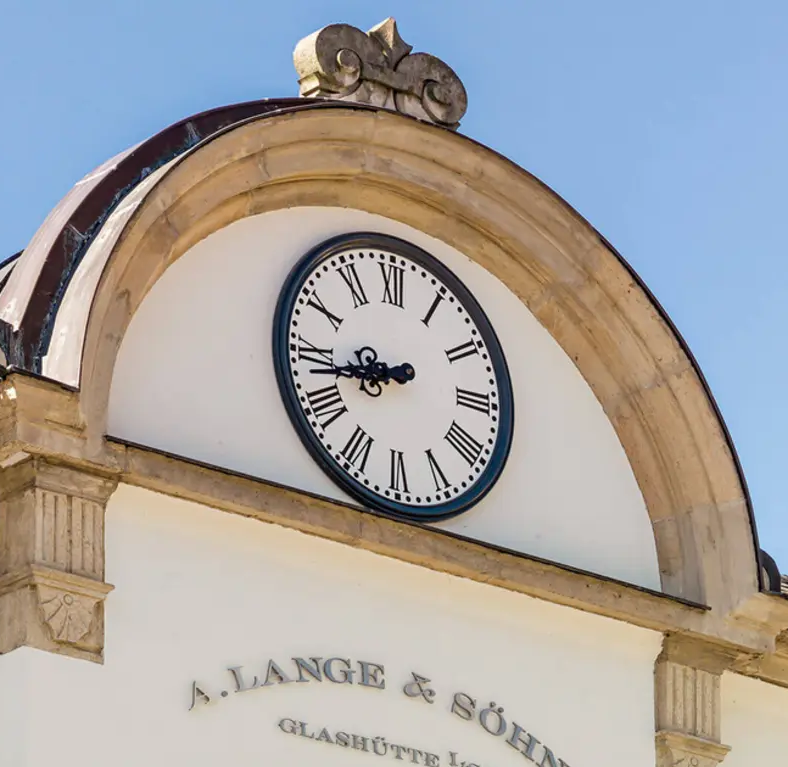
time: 8:43
